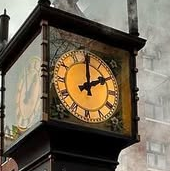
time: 1:59
